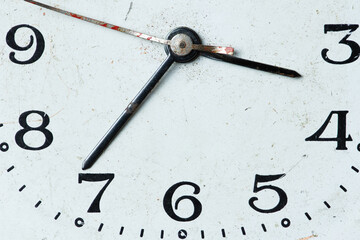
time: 7:17
